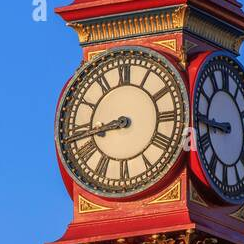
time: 8:42
